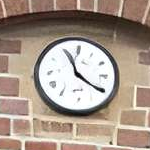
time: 11:20
